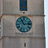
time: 11:13
